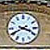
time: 3:40
